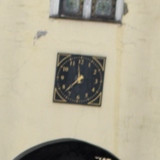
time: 11:37
